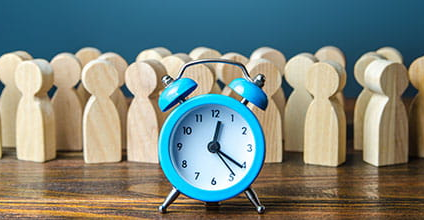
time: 12:20
